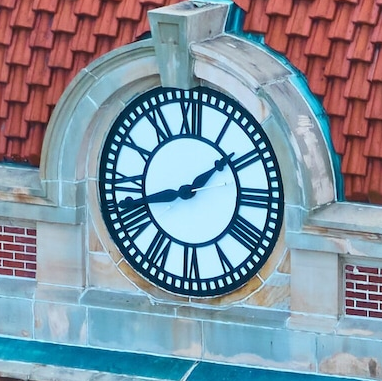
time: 1:42
